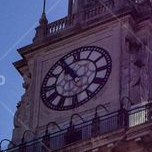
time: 10:55
